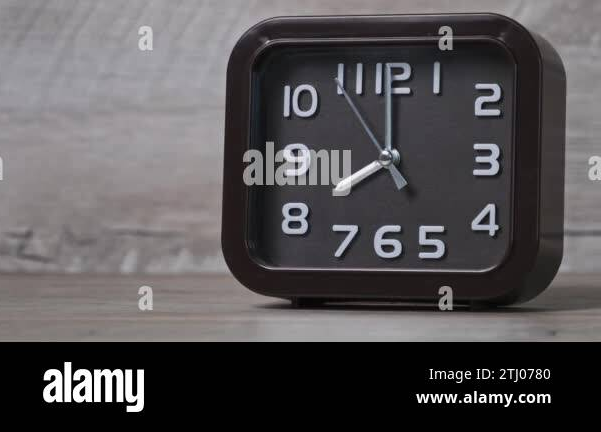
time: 8:00
